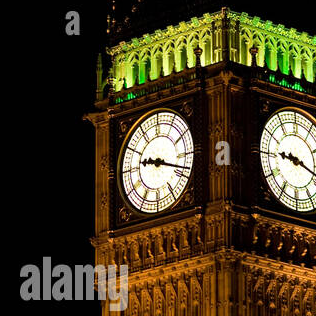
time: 9:18
